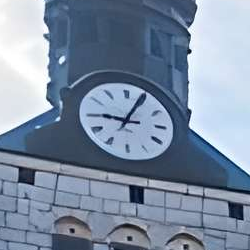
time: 9:04
